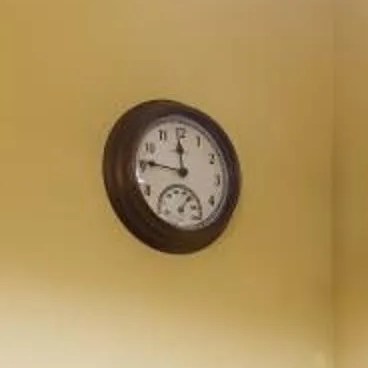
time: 11:46
